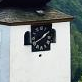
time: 1:39
